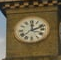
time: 12:11
